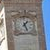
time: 1:26
